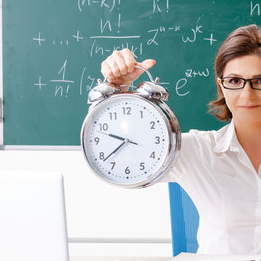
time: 9:38
